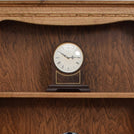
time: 10:14
